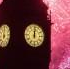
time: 12:00
